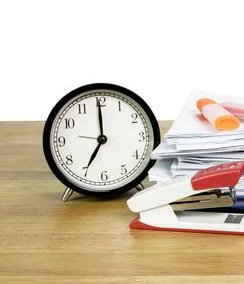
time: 6:59
